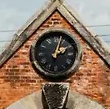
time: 2:02
